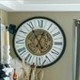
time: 12:55
